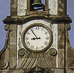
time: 8:54
